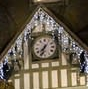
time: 7:33
